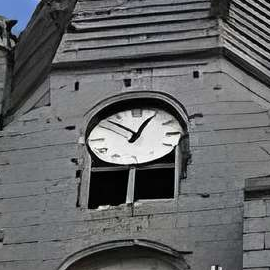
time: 12:52
